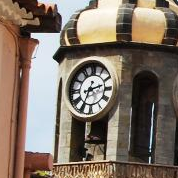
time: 2:34
